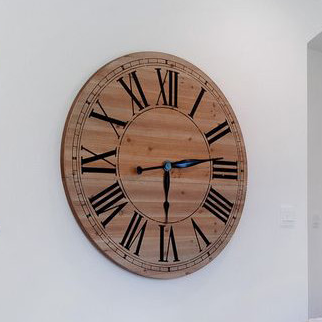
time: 6:13
